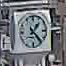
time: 1:23
